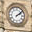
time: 2:08
